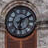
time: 6:10
